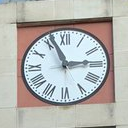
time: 2:56
